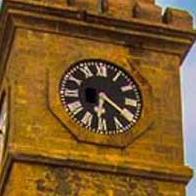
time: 6:21
